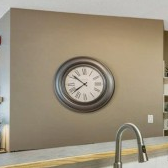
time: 7:51
